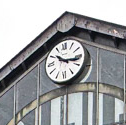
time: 10:16
